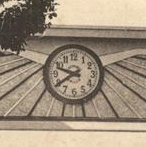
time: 9:39
